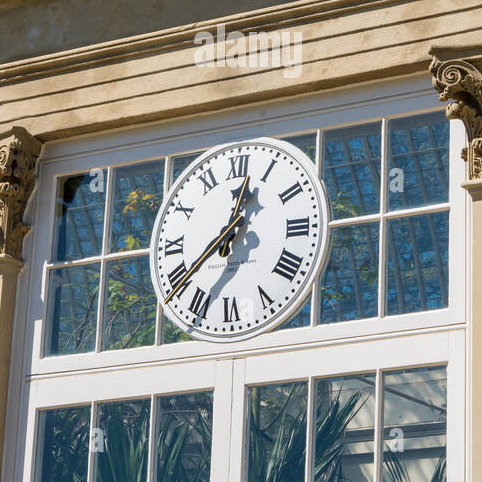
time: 12:38
